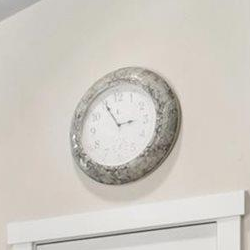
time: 2:55
